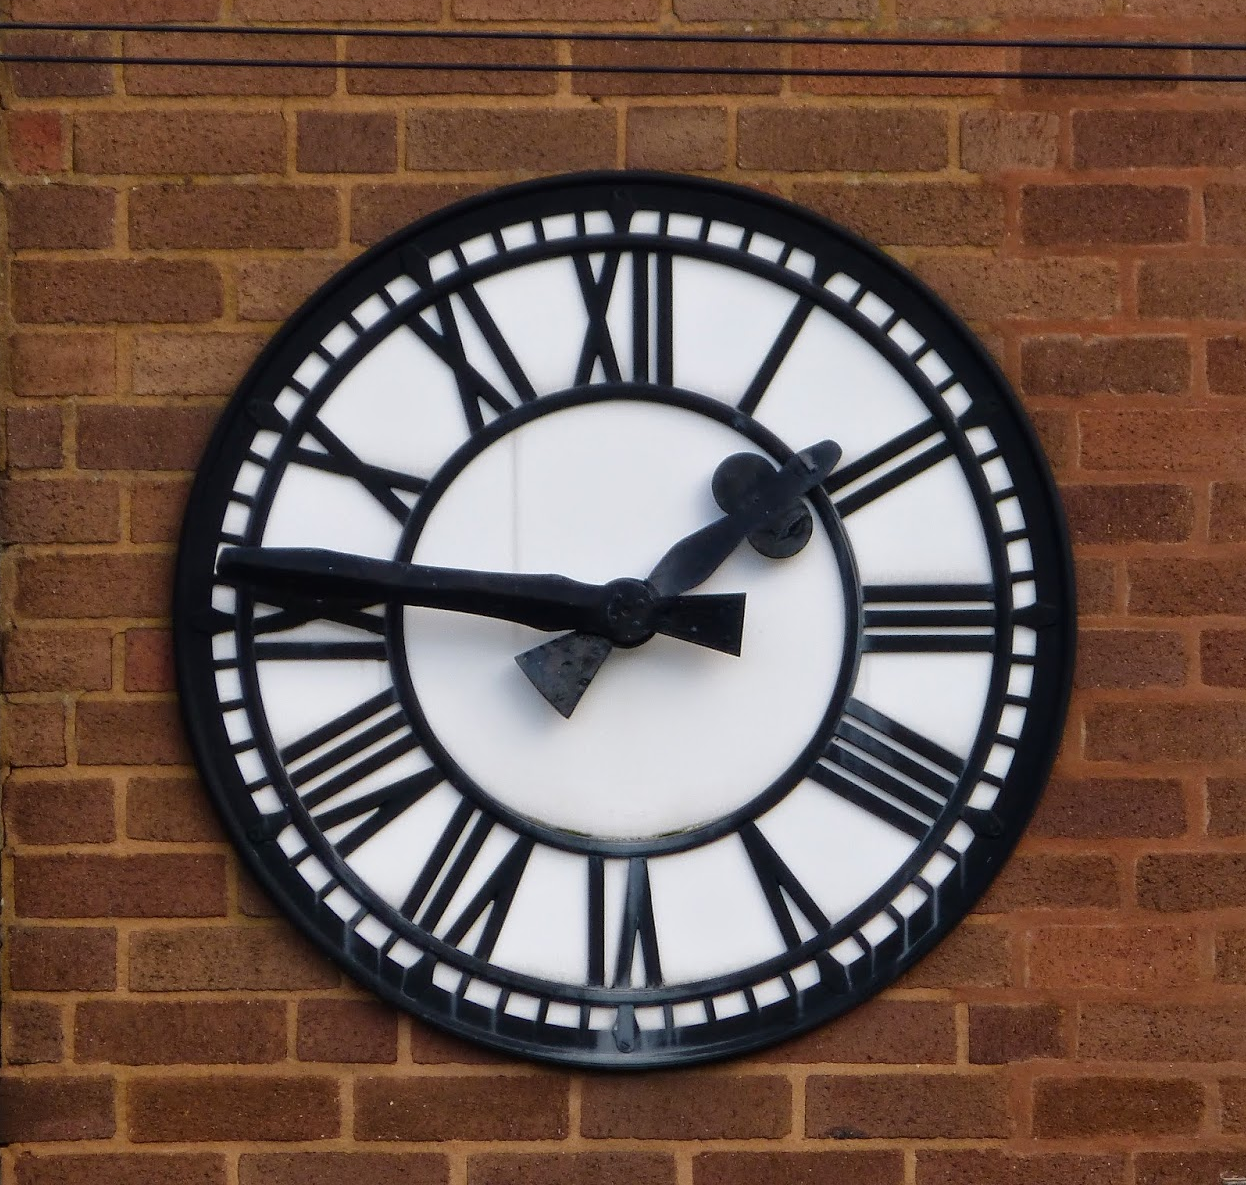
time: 1:46
